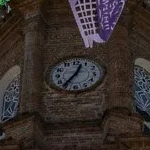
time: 12:36
